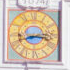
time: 8:16
